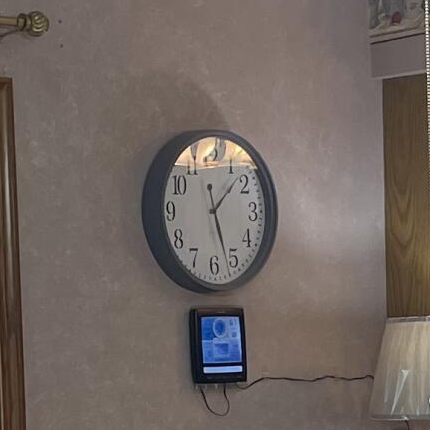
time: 1:26
